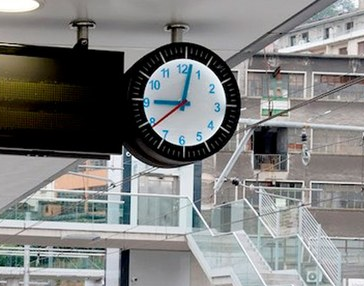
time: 9:01
